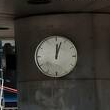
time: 12:03
